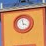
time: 3:58
